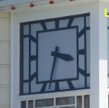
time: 3:32
